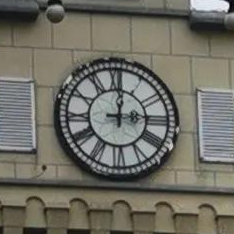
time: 3:00
